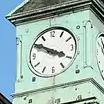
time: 3:50
